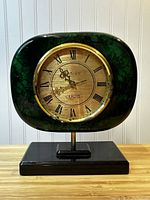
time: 10:41
